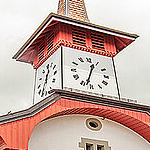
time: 12:32
